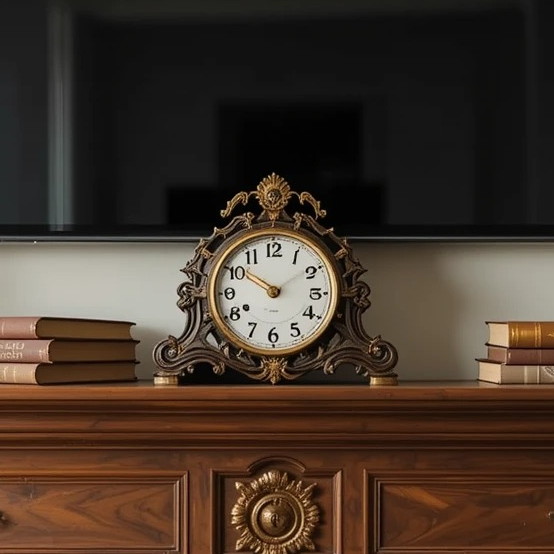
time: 1:50
